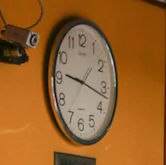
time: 9:17
